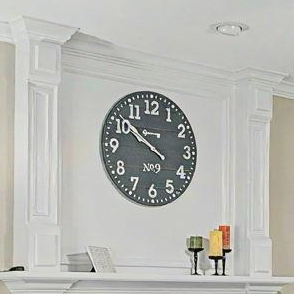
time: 9:51
